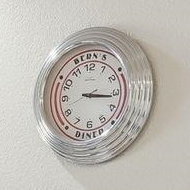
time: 3:15
